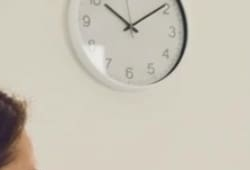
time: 10:08
